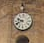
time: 9:41
